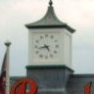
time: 4:42
